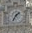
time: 1:35
